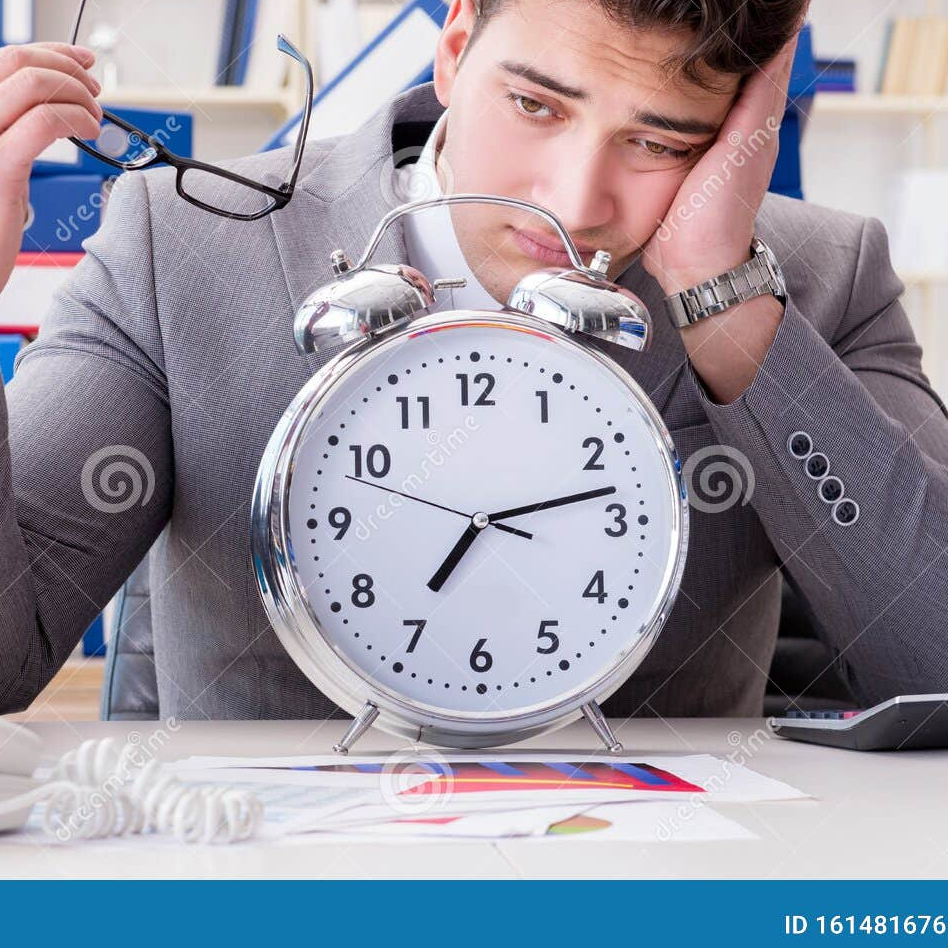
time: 7:13
